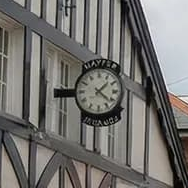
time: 1:21
